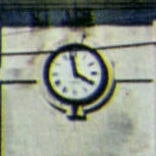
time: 3:58
